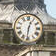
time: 12:31
